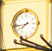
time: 7:43
